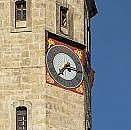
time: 7:15
